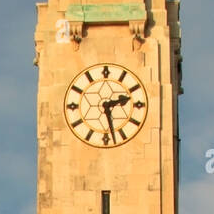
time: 2:27
